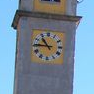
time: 10:45
